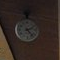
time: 2:23
